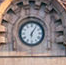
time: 6:05
